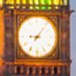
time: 9:06
